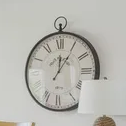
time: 12:05
